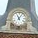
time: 11:05
